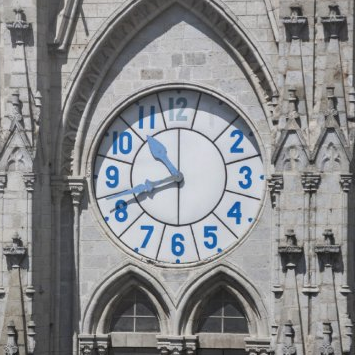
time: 10:41
